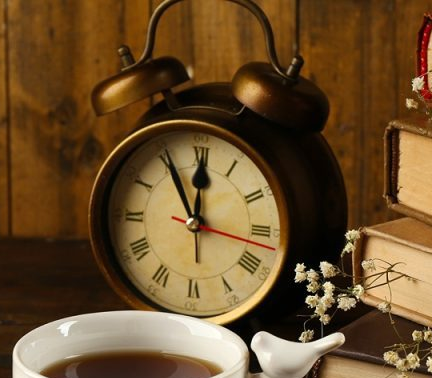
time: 11:55
